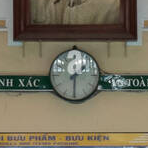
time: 2:30
